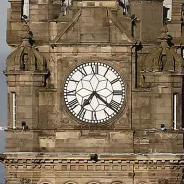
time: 7:21
